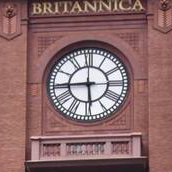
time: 5:44
